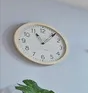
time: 11:06
